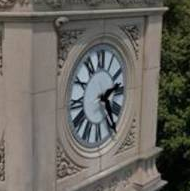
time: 2:25
